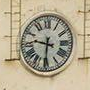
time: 9:30
